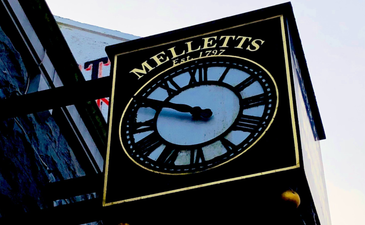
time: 9:48
